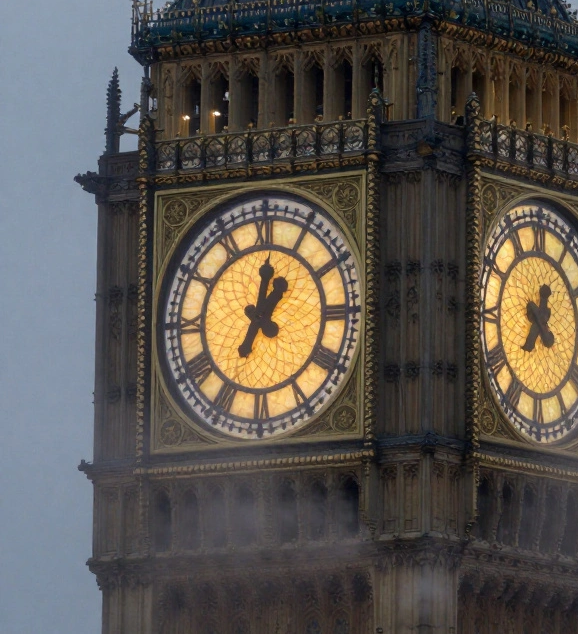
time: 1:01
